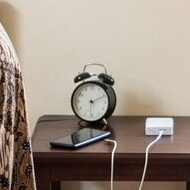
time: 2:11
